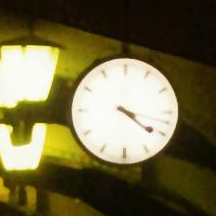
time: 4:17
